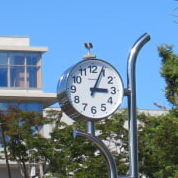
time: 3:04
